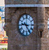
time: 9:25
